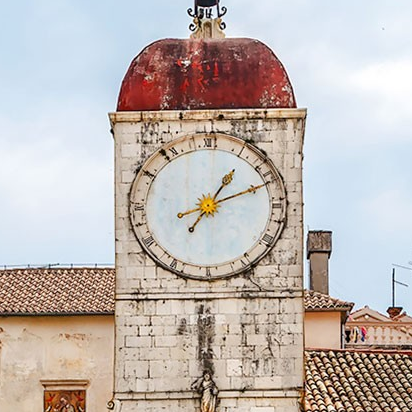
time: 1:11
